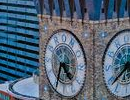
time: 4:34
